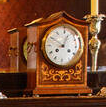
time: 12:49
